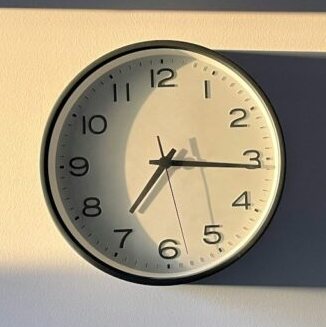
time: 7:15
